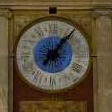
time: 7:06
